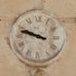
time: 9:47
